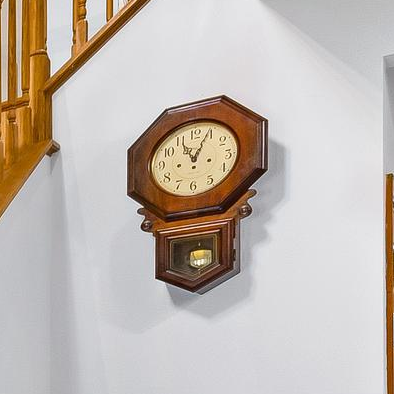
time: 11:03
